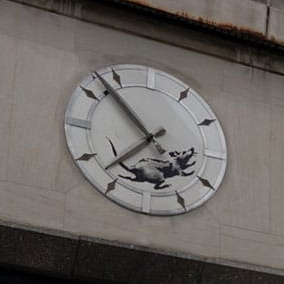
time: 3:52
